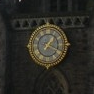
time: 1:18
